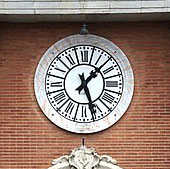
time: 1:26
